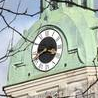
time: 3:40
